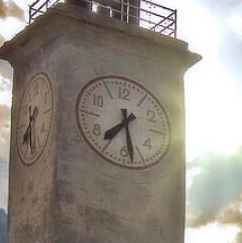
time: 7:28
